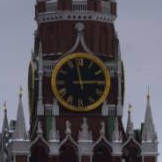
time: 2:58
